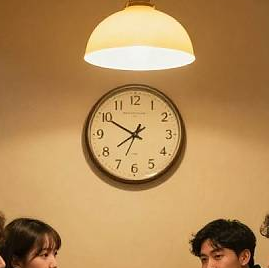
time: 7:49
